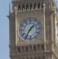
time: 1:35
